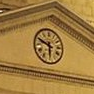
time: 5:48
